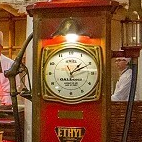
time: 1:10
